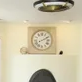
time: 2:10
